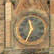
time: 11:34
